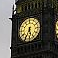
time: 5:34
